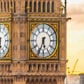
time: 5:34
